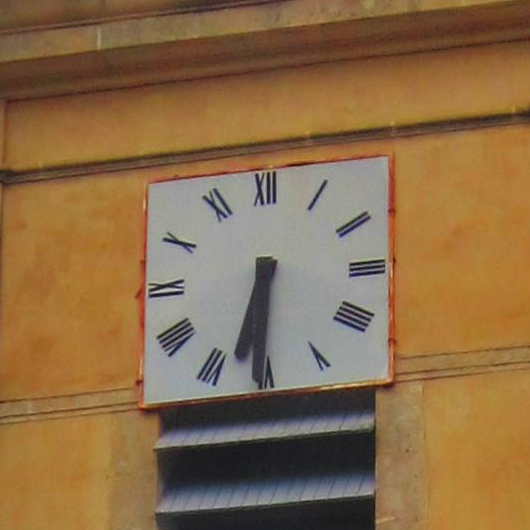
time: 6:30
